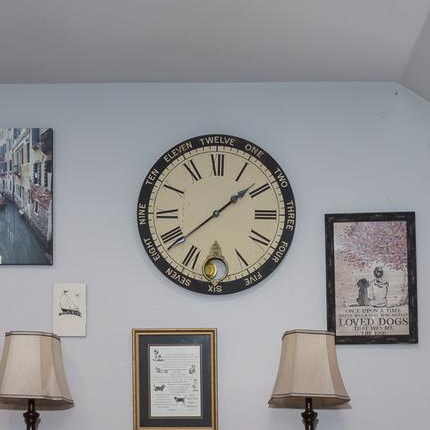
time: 1:38
